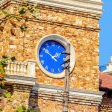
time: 1:51
